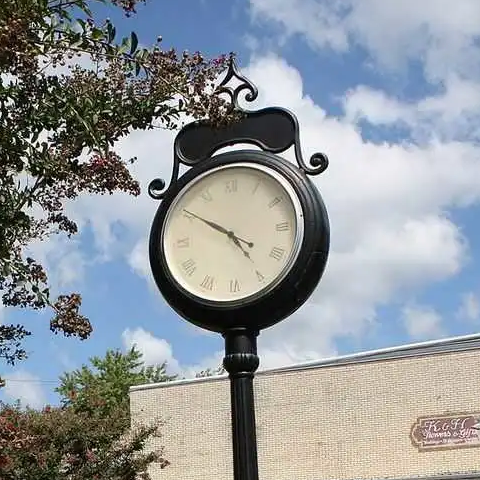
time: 4:50
